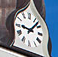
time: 9:07
